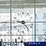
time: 9:23
